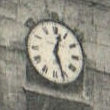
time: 12:26
